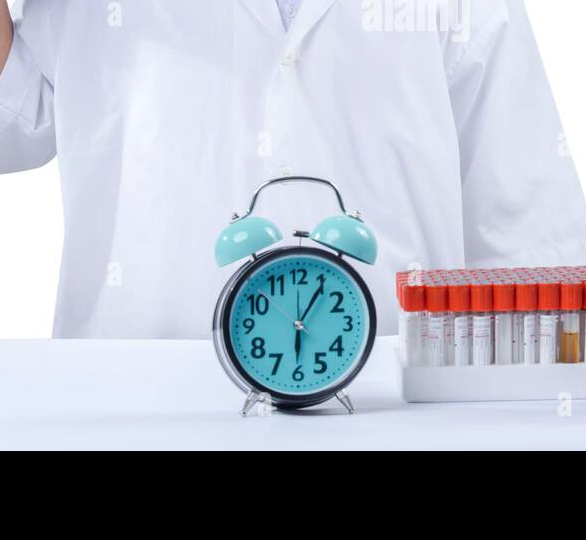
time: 6:05
